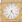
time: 4:34
